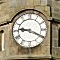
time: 9:19
